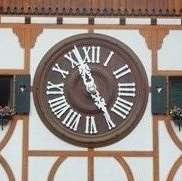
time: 11:24
